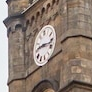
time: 9:17
